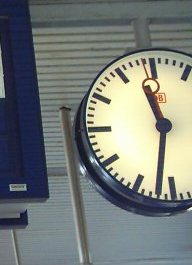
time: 11:32
